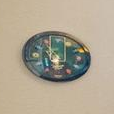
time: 5:59
